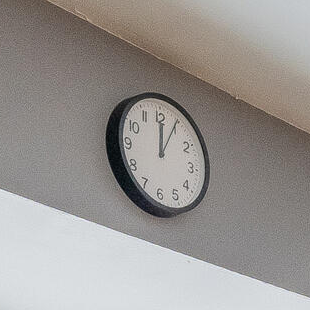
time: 12:04
